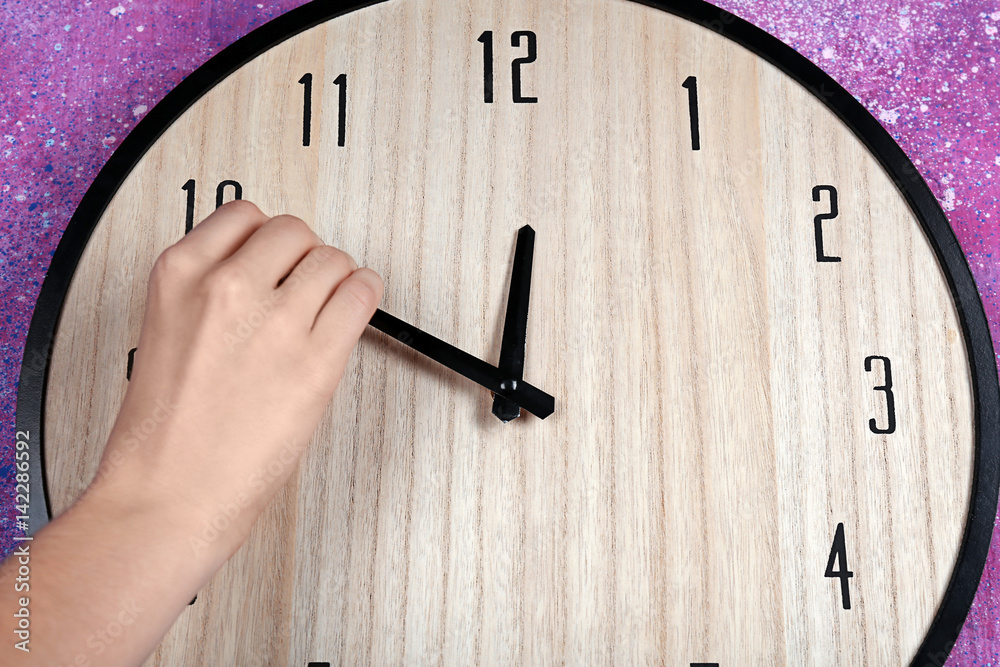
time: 11:49
